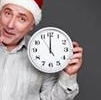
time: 12:00
